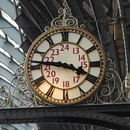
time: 3:46
